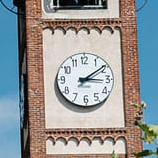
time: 3:09
